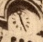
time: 11:25
